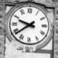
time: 9:38
